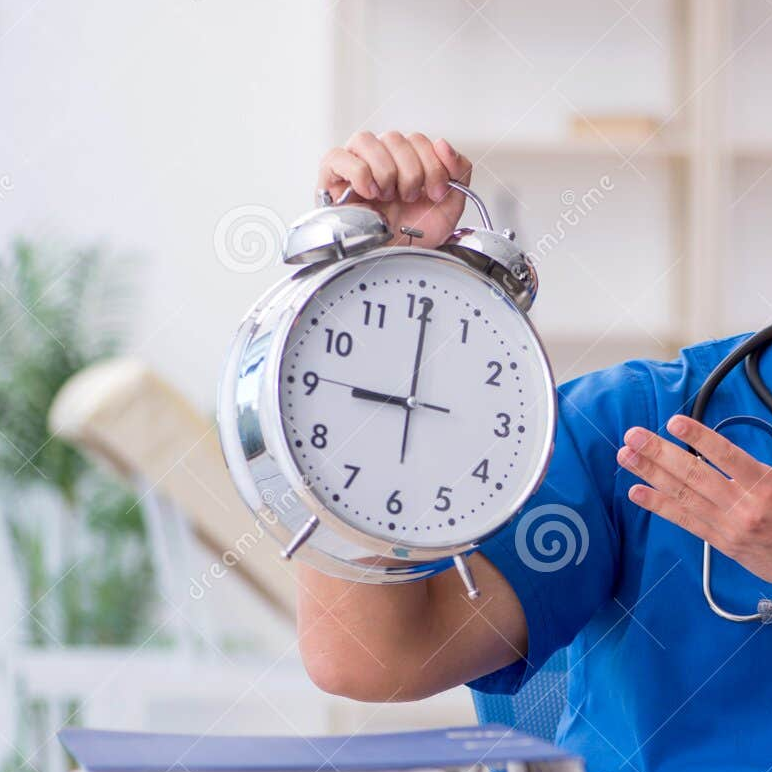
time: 9:00
